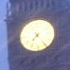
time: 7:24
